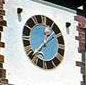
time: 1:37
